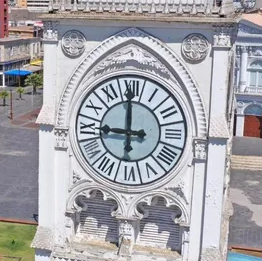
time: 8:59
